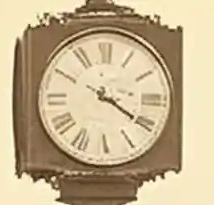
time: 4:20
